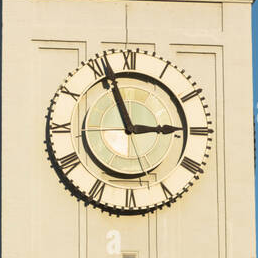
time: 2:56
